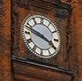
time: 3:47
